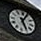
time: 5:04
